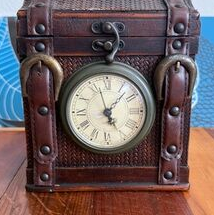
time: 5:07
